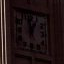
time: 12:57
